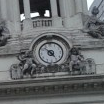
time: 4:52
